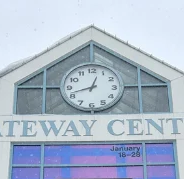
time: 12:42
